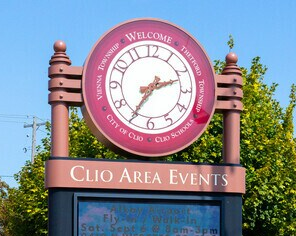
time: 2:35
